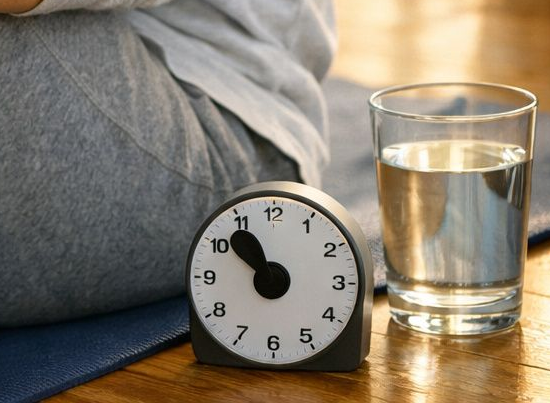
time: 10:51
